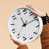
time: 11:09
